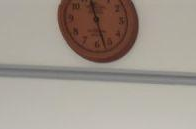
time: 11:27
